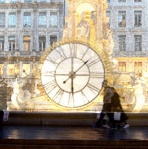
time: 6:08
